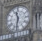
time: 11:32
